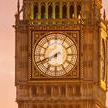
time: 7:41
